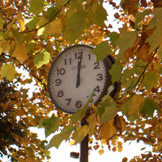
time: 12:01
